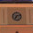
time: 7:12
